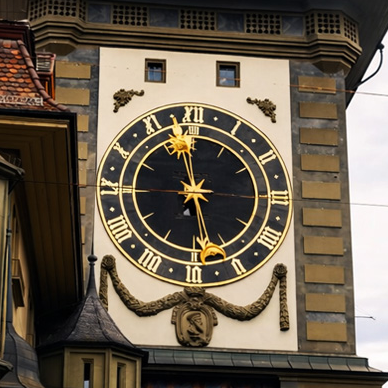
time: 5:58
